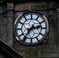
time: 2:36
